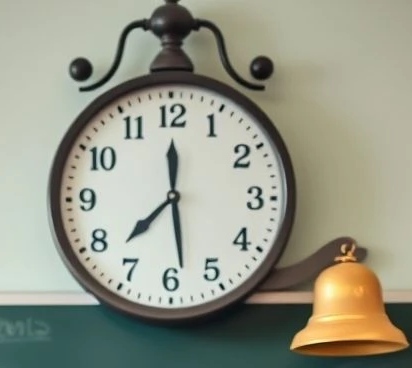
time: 7:28
